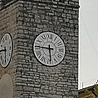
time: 5:45
